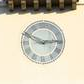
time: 2:49
